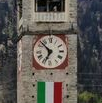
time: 6:52
